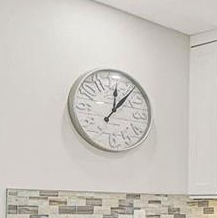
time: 12:06
